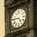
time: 4:45
